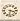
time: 3:32
